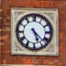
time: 5:22
